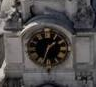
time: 1:33
